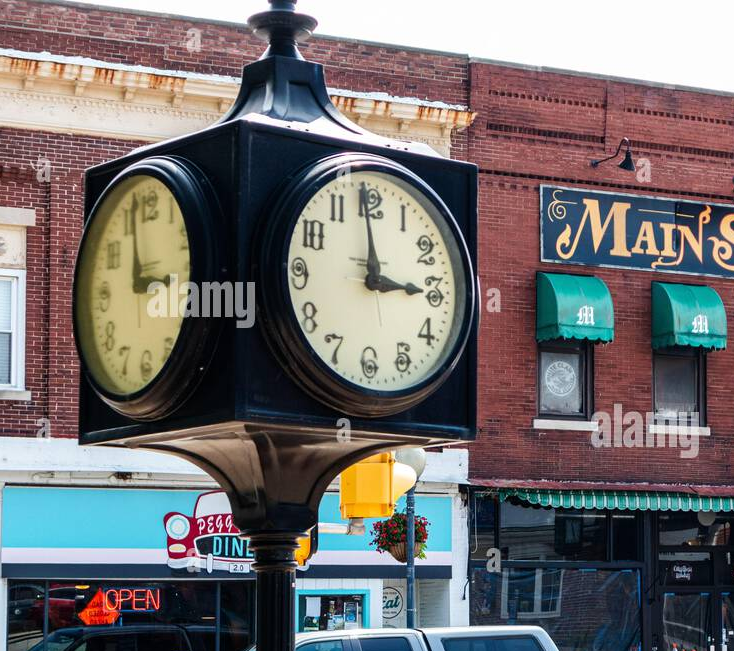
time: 2:58
